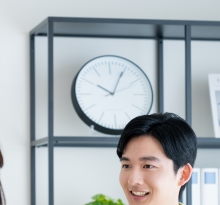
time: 10:04
